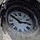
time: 2:50
